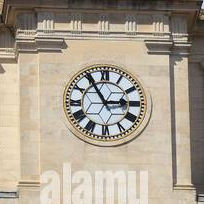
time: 2:54
